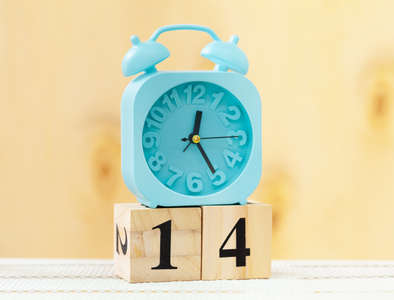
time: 12:24
